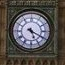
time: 5:19
